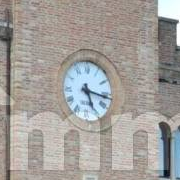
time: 5:16
